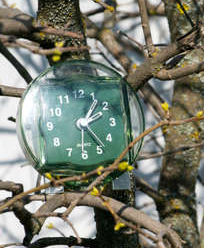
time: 1:23
